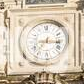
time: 7:15
